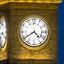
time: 4:39
